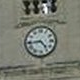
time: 4:43
